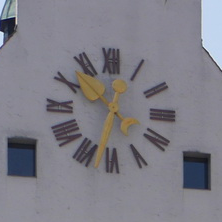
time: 12:32
